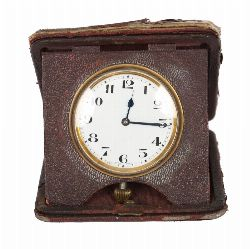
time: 12:15
